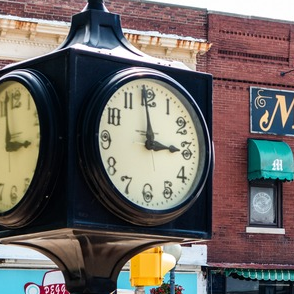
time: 2:58
